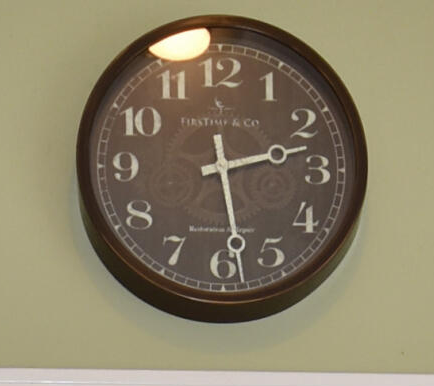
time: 2:28
